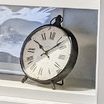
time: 10:07
